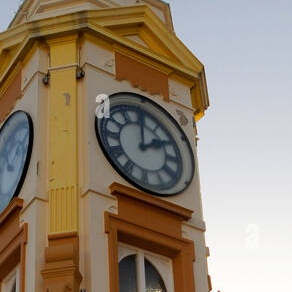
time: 2:00
